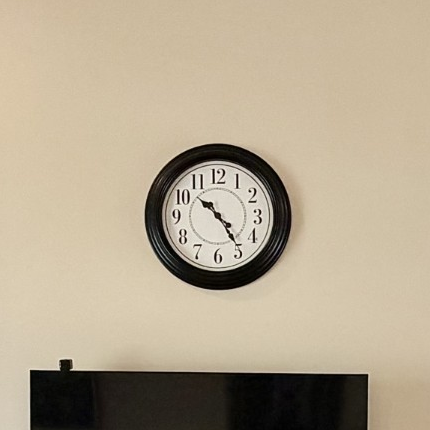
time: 10:24
